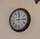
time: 12:14
